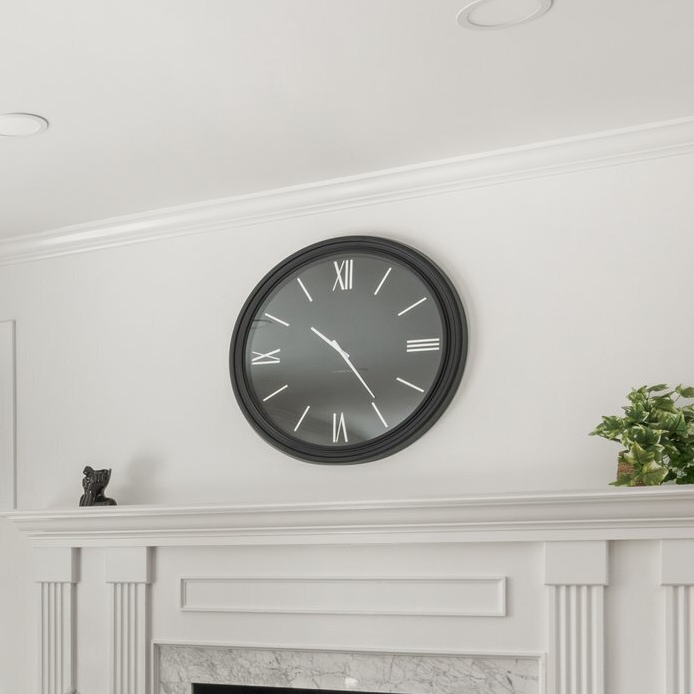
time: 10:24
